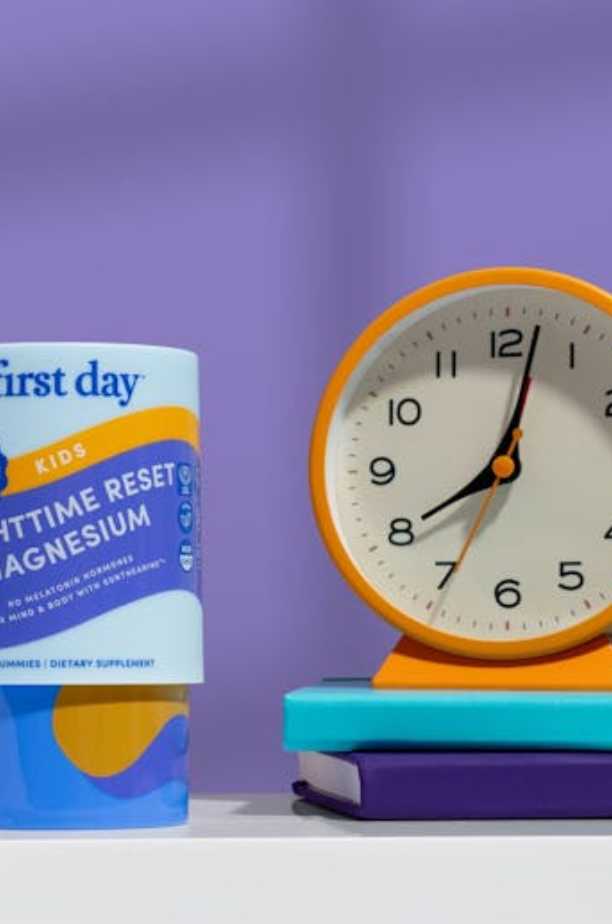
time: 8:02
